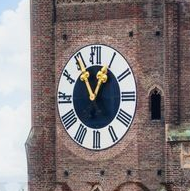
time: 12:55
